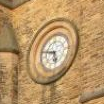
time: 5:47
